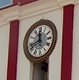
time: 11:42
